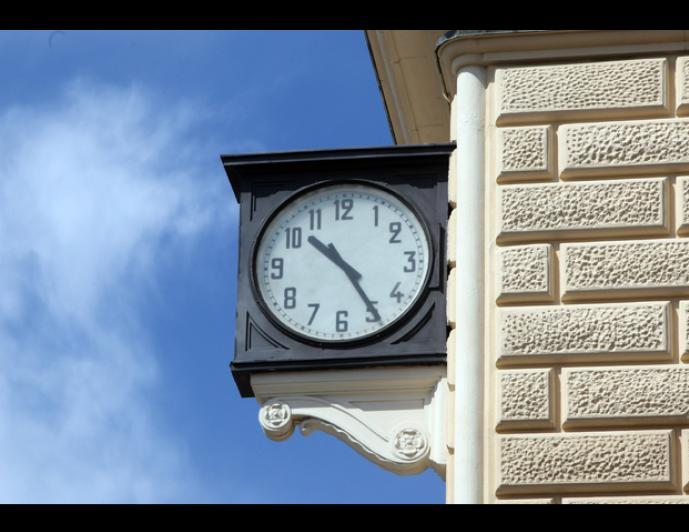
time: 10:24
